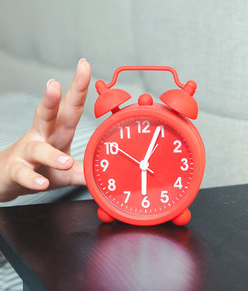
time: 6:03
